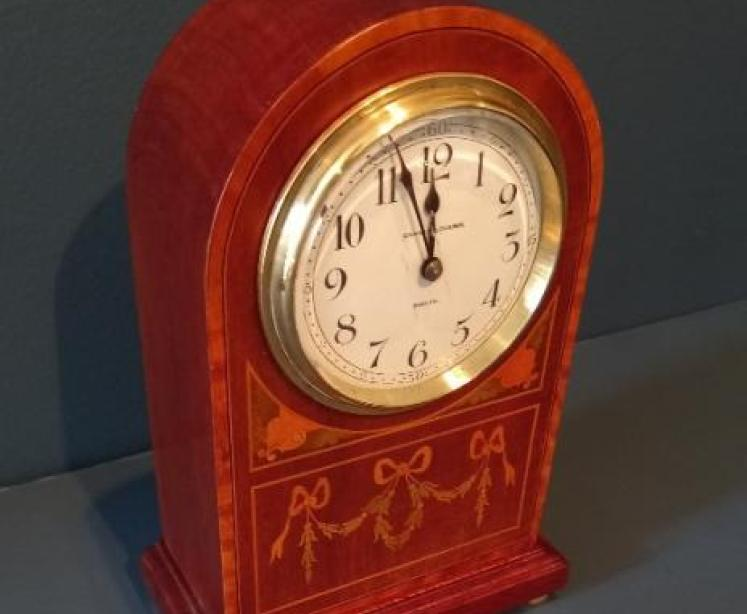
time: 11:56
